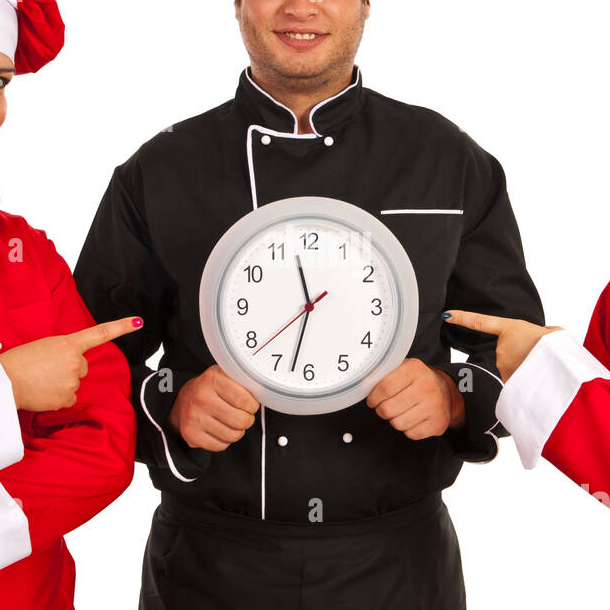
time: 11:32
